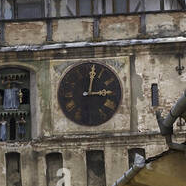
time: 3:01
